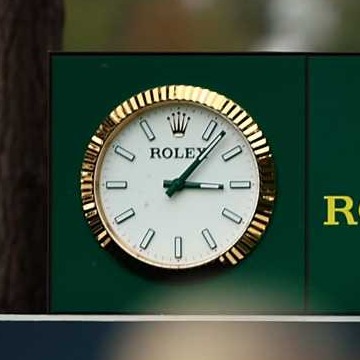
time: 3:06
